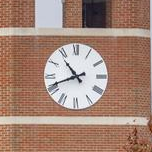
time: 10:41
